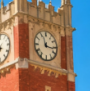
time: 11:16
